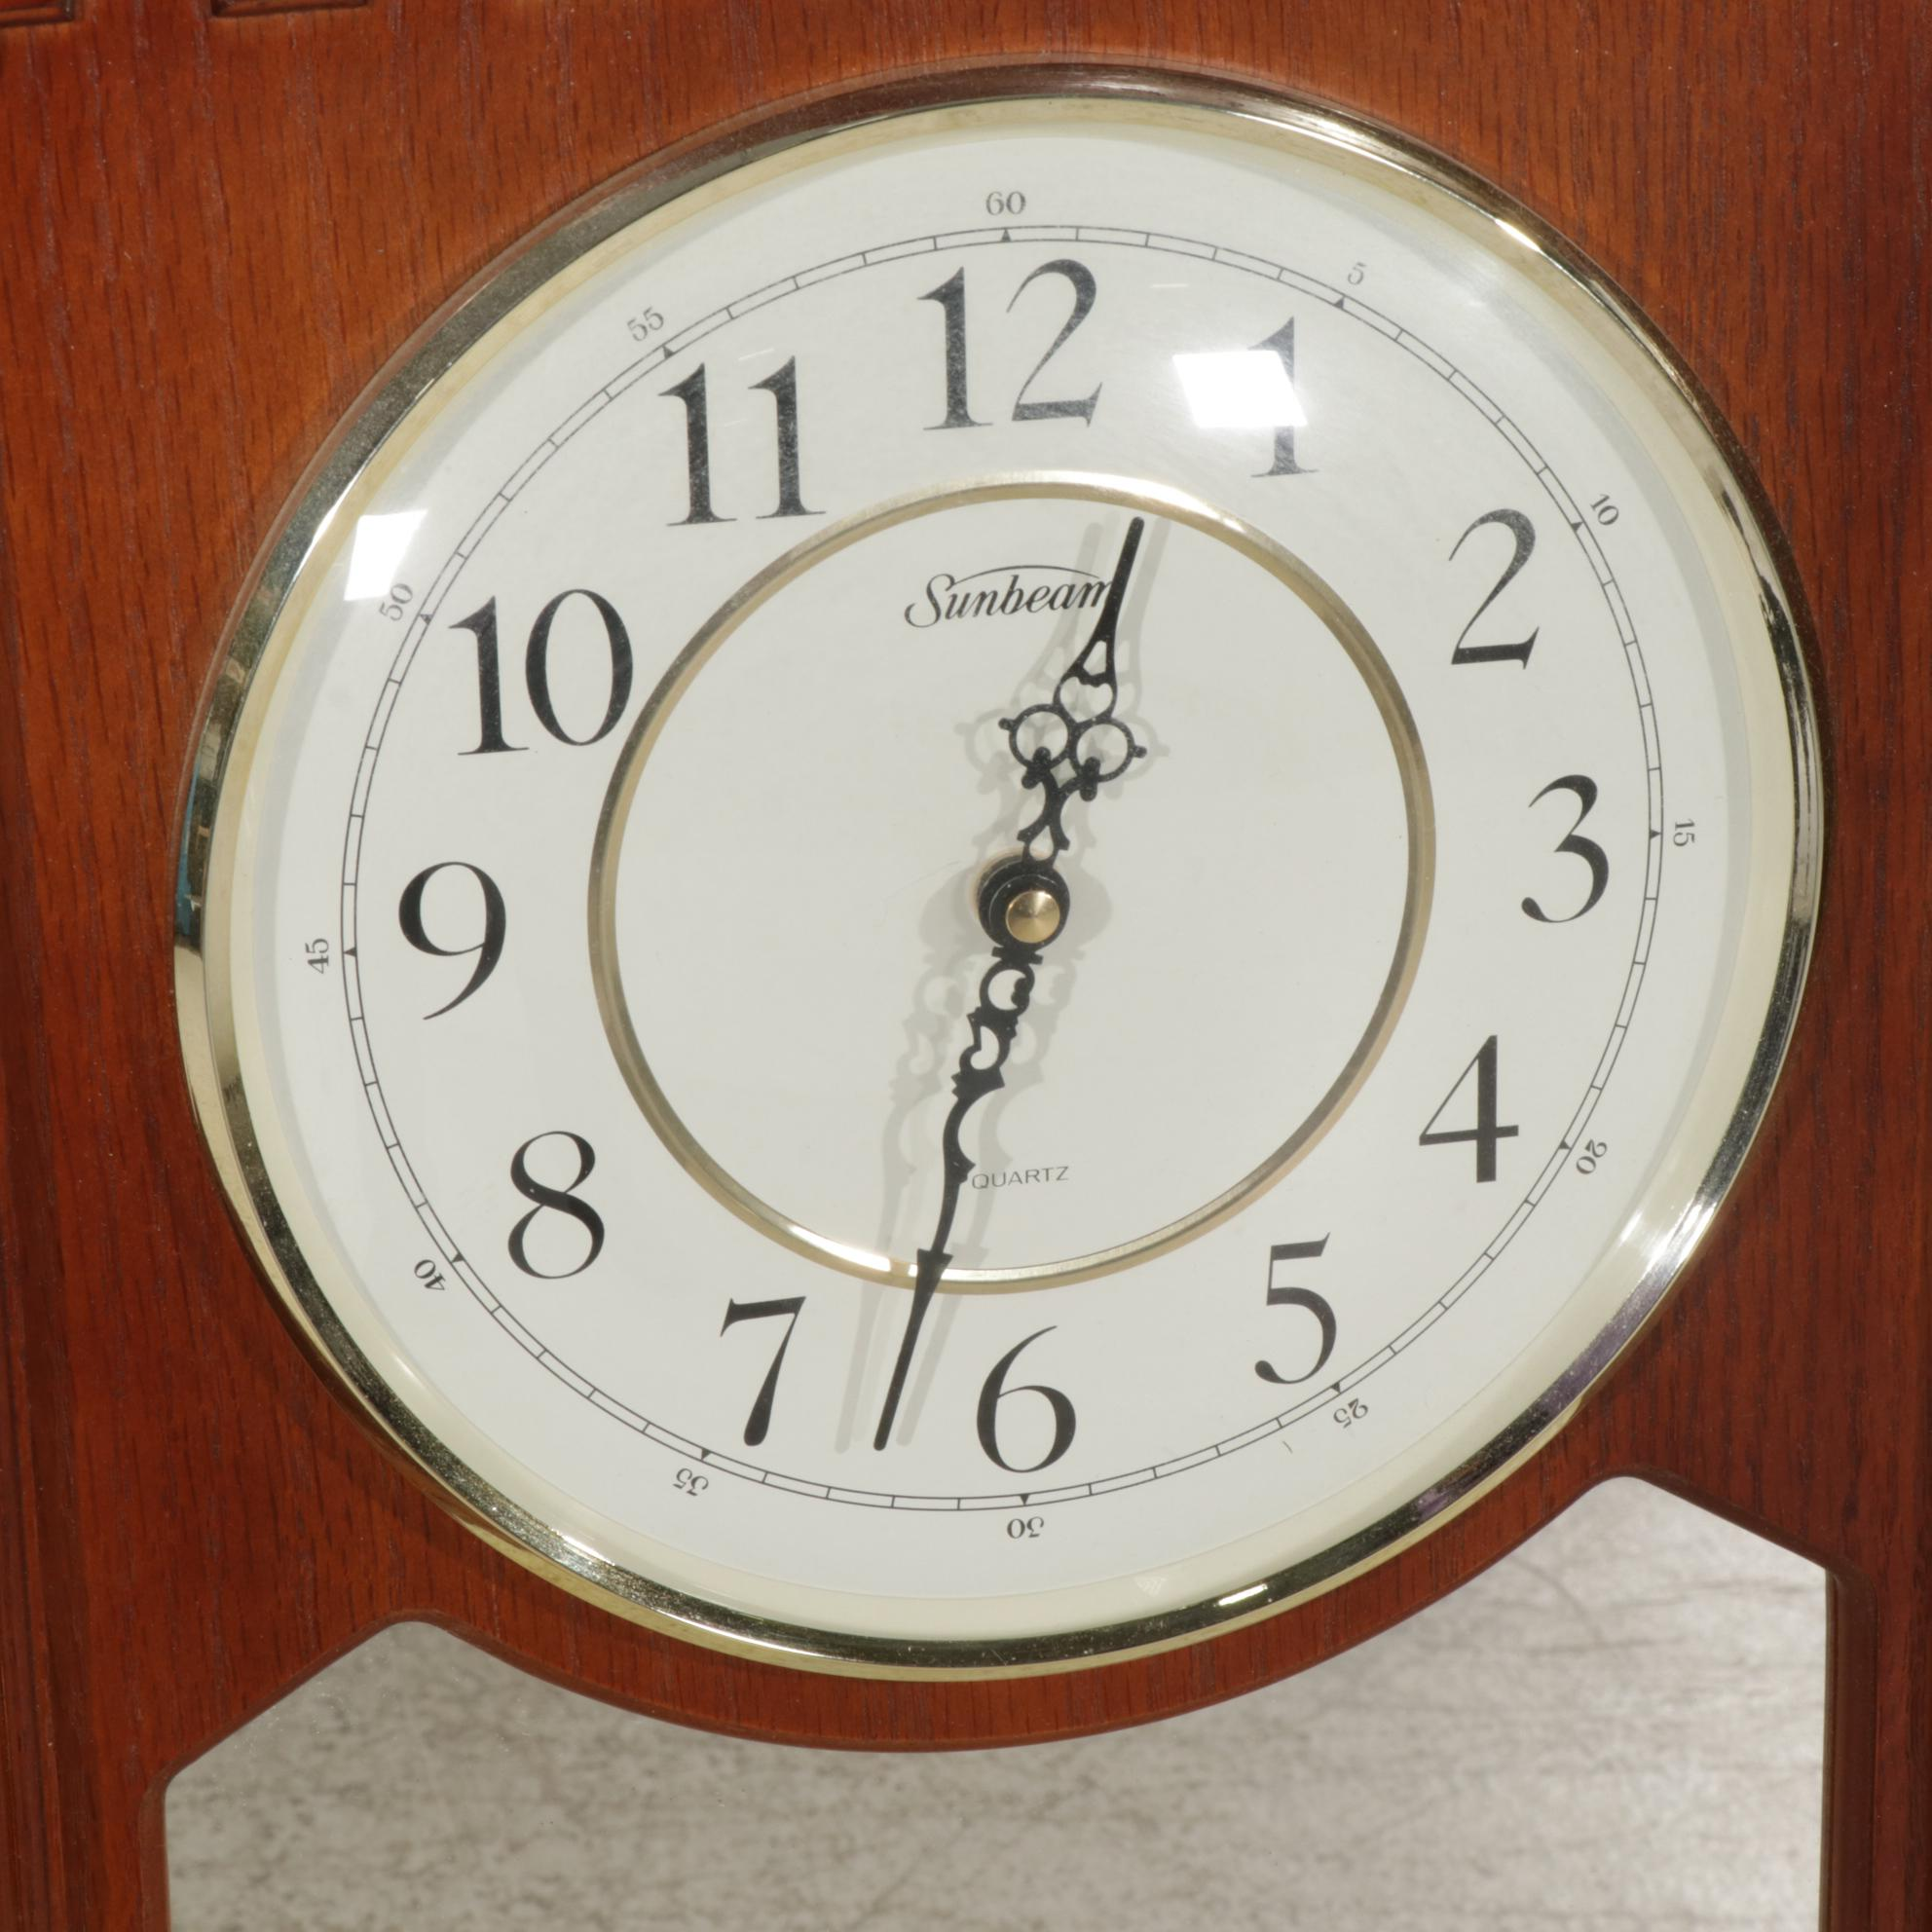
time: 12:32
